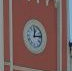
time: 12:13
